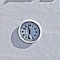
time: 11:32
